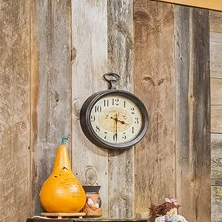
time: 3:29
